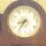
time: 8:36
